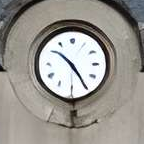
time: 10:24
